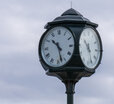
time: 10:27
